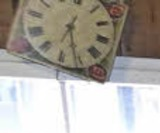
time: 12:26
